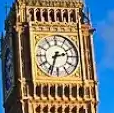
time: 2:33
